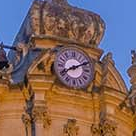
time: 8:10
